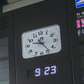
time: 9:23
